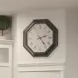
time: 2:23
